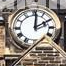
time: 2:01
